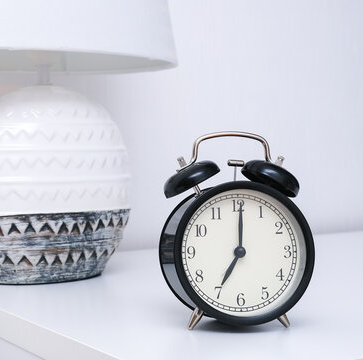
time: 7:00
